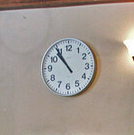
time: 10:53
